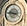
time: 9:45
